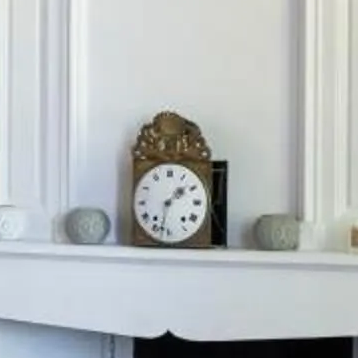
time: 1:32
